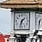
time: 1:32
